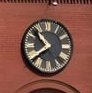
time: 10:39
